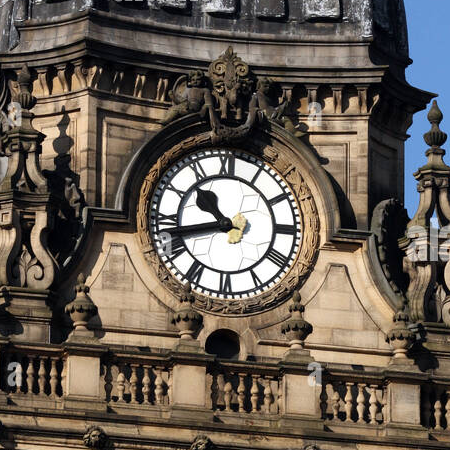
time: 10:42
